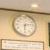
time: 6:13
